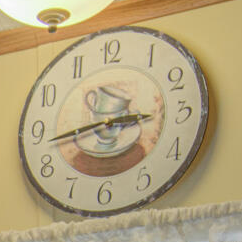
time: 2:43
